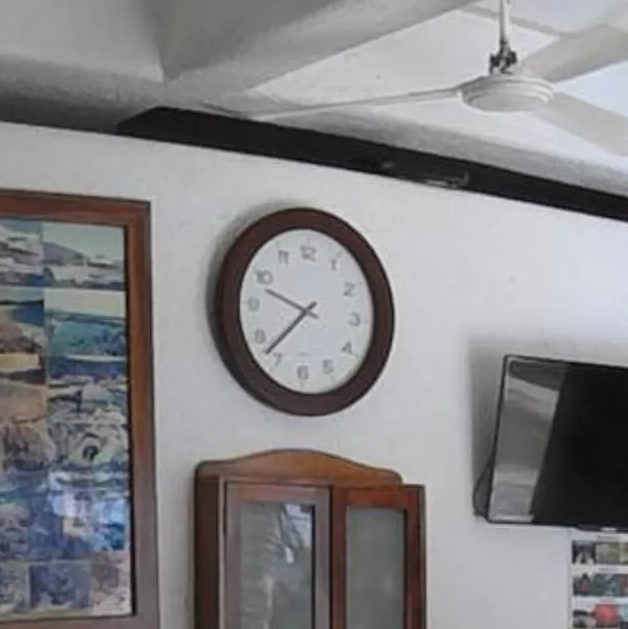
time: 9:37
